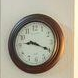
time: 9:19
